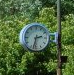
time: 2:32
